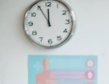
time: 11:55
